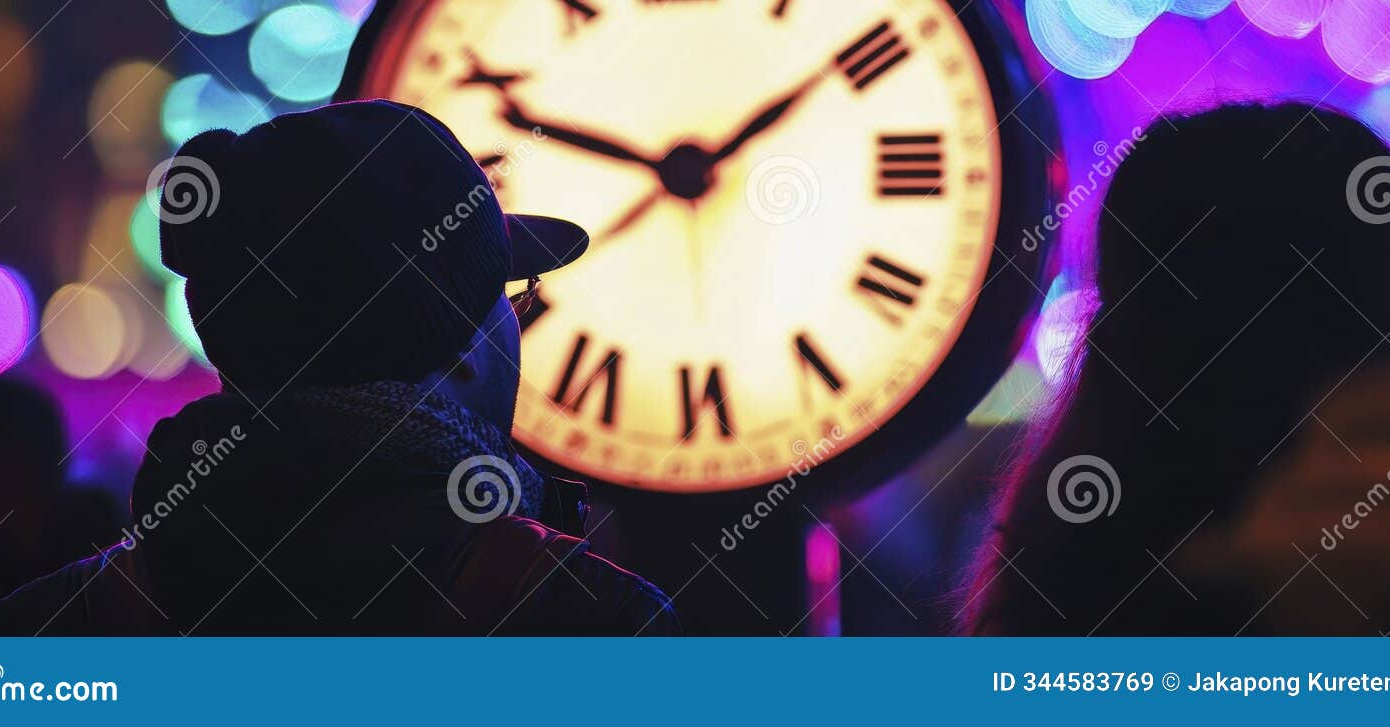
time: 1:48
